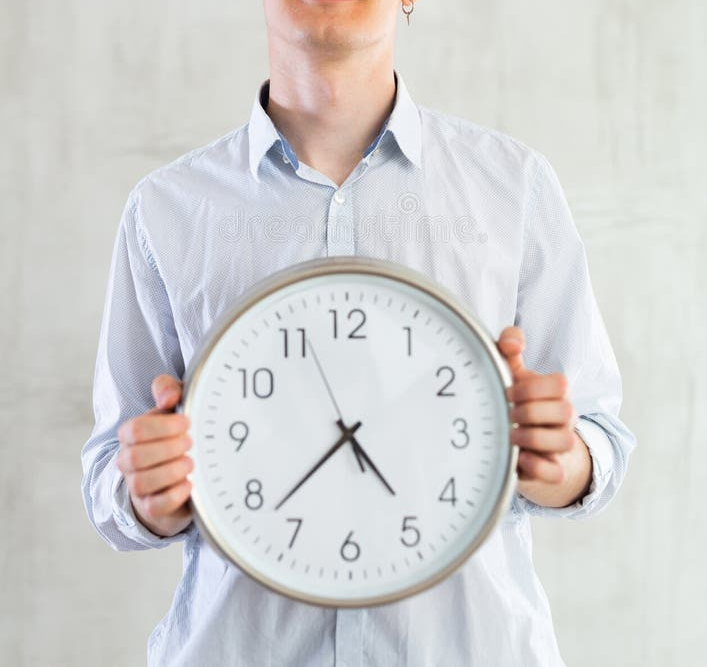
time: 4:37
